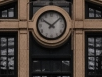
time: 10:07
